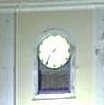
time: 7:35
